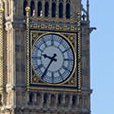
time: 9:36
